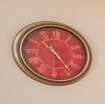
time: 10:23
